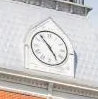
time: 4:53
